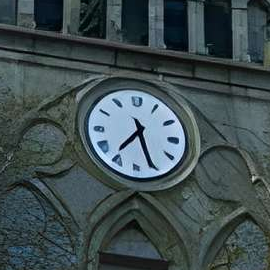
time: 7:26
